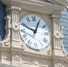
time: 12:48
